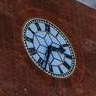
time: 2:33
